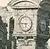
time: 5:45
